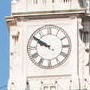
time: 9:50
